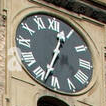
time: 12:33
